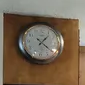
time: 1:21
